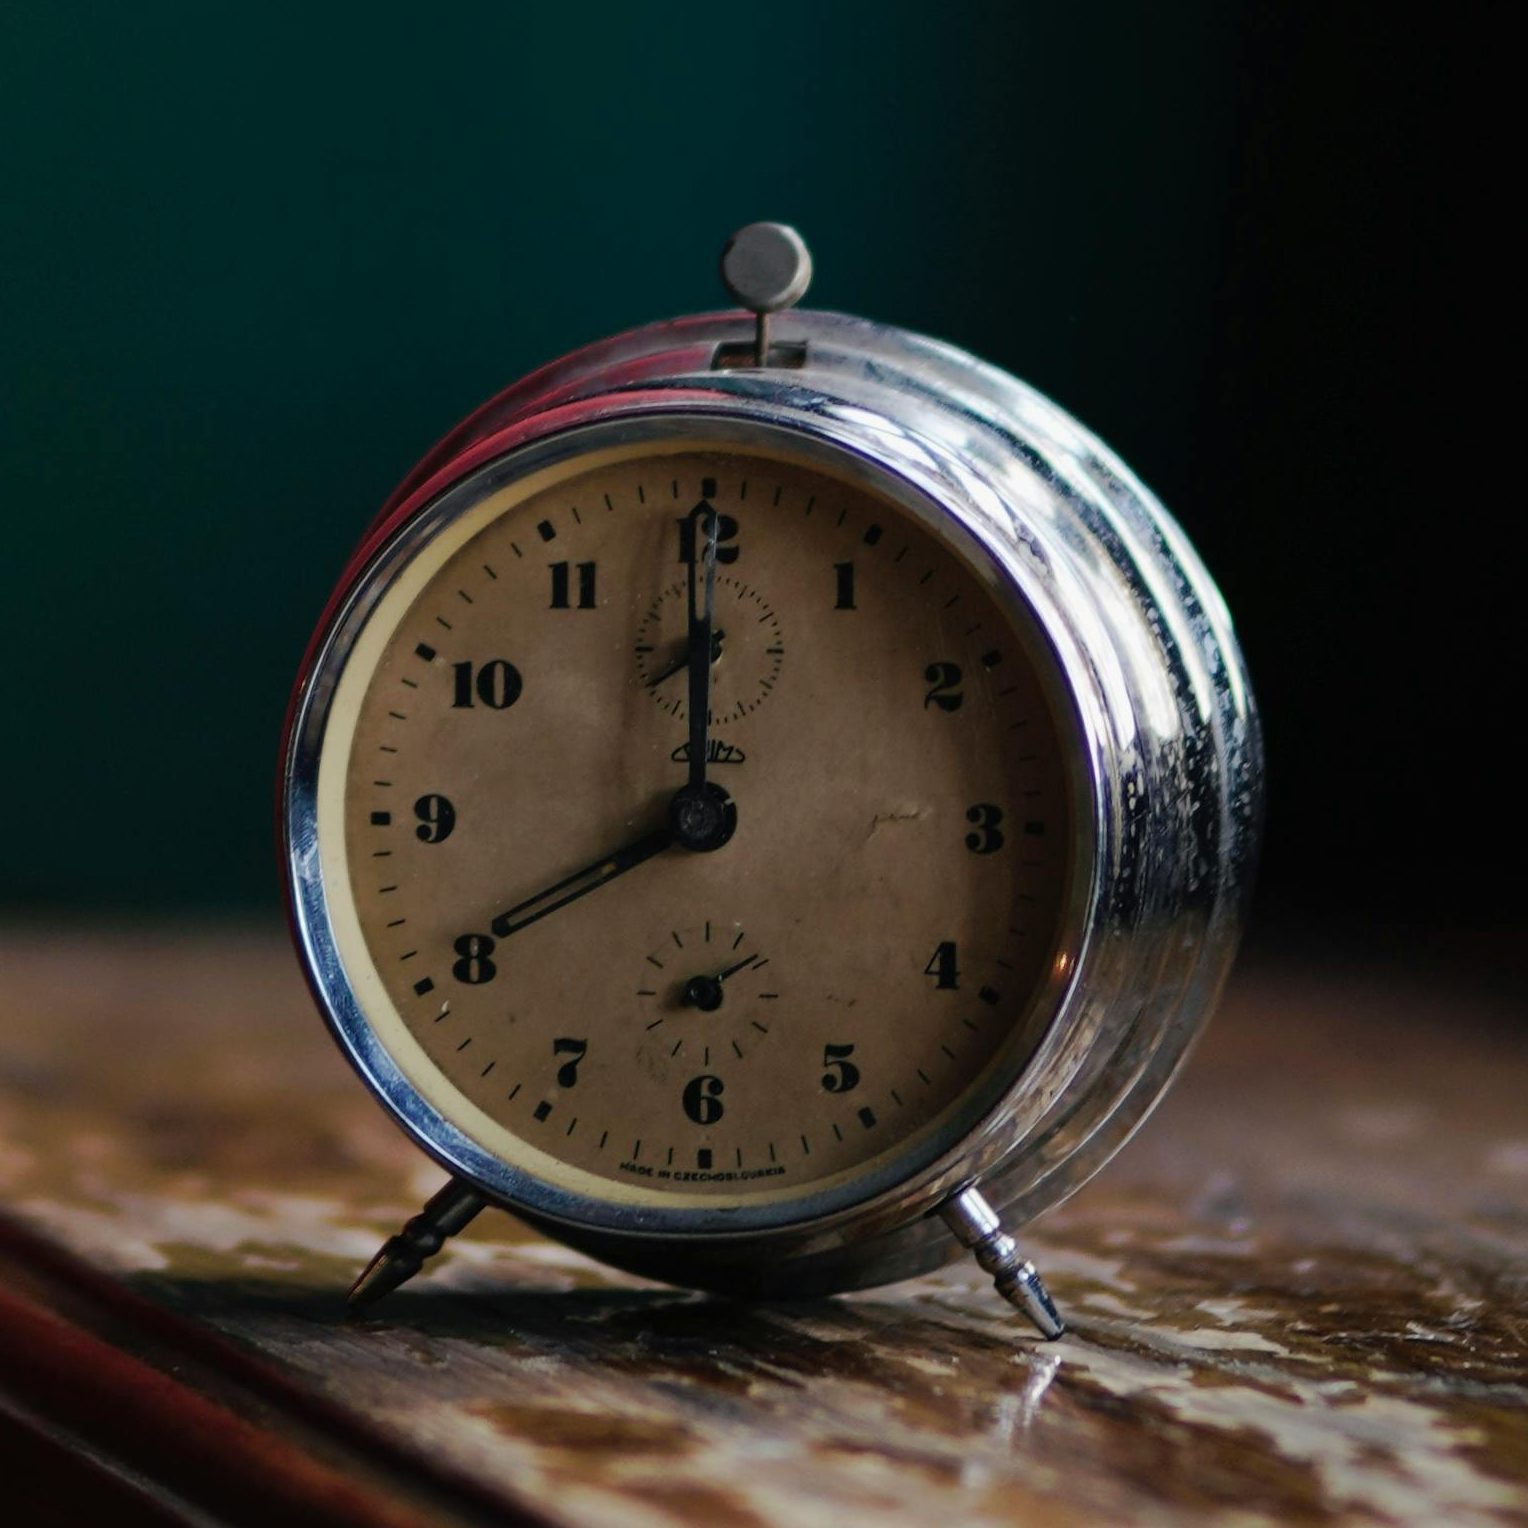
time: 7:59
